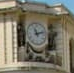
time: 11:12
